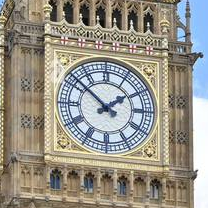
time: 1:51
